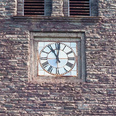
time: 11:00
